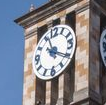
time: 11:19
